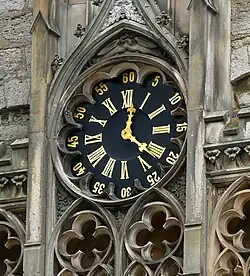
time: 12:21
